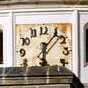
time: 6:06
